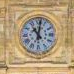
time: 11:01
